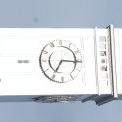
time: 7:15
